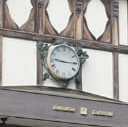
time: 9:15
